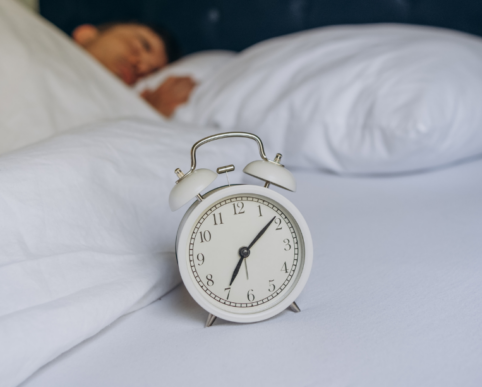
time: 7:08
